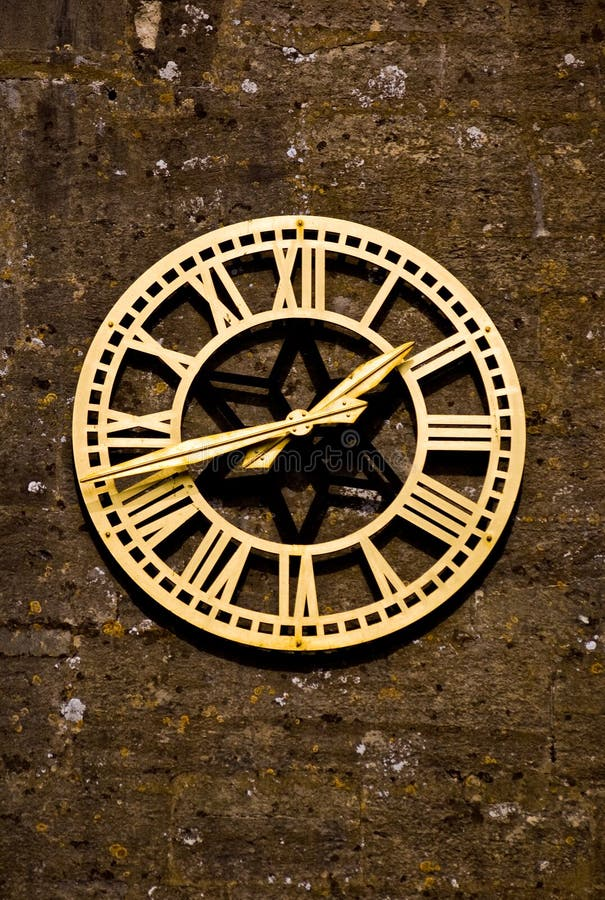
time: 1:42
